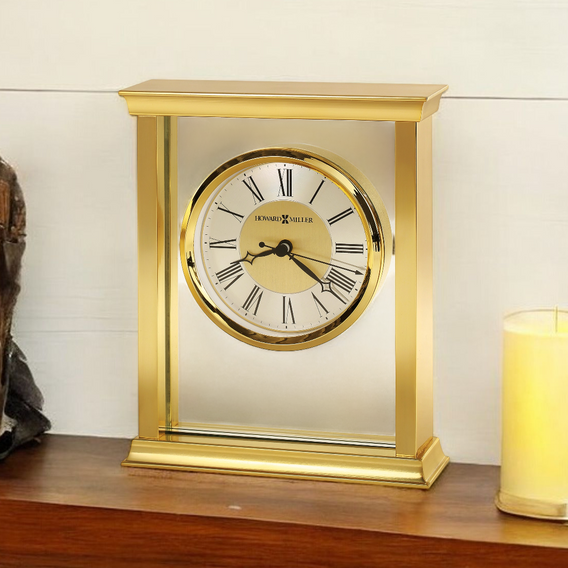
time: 8:21
